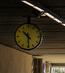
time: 10:29
